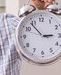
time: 2:53
